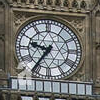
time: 9:35
